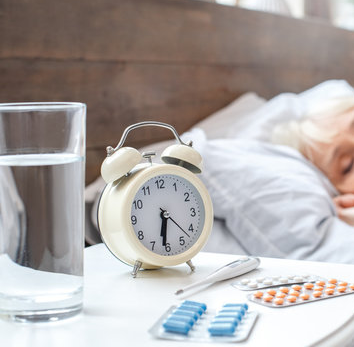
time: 6:31
